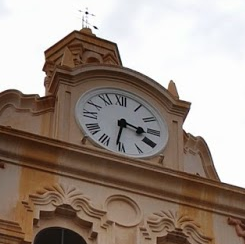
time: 3:31
